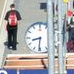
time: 8:31
